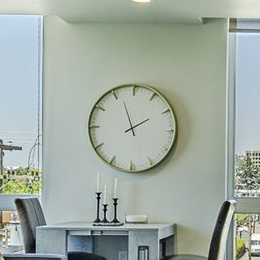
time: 1:56
